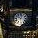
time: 10:02
